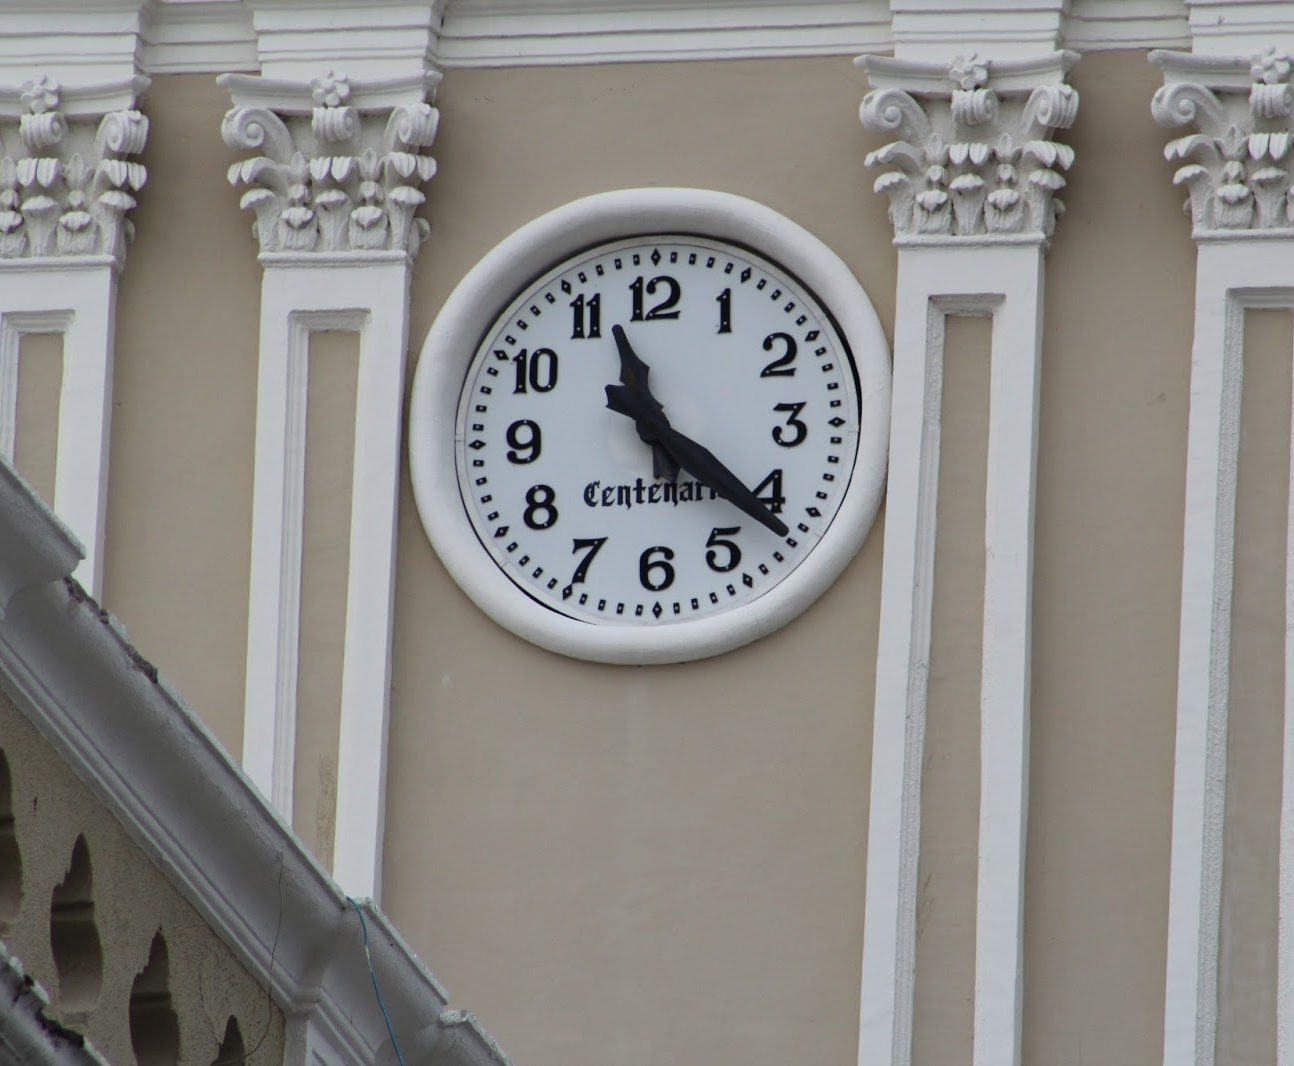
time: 11:21
